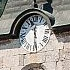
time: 12:28
